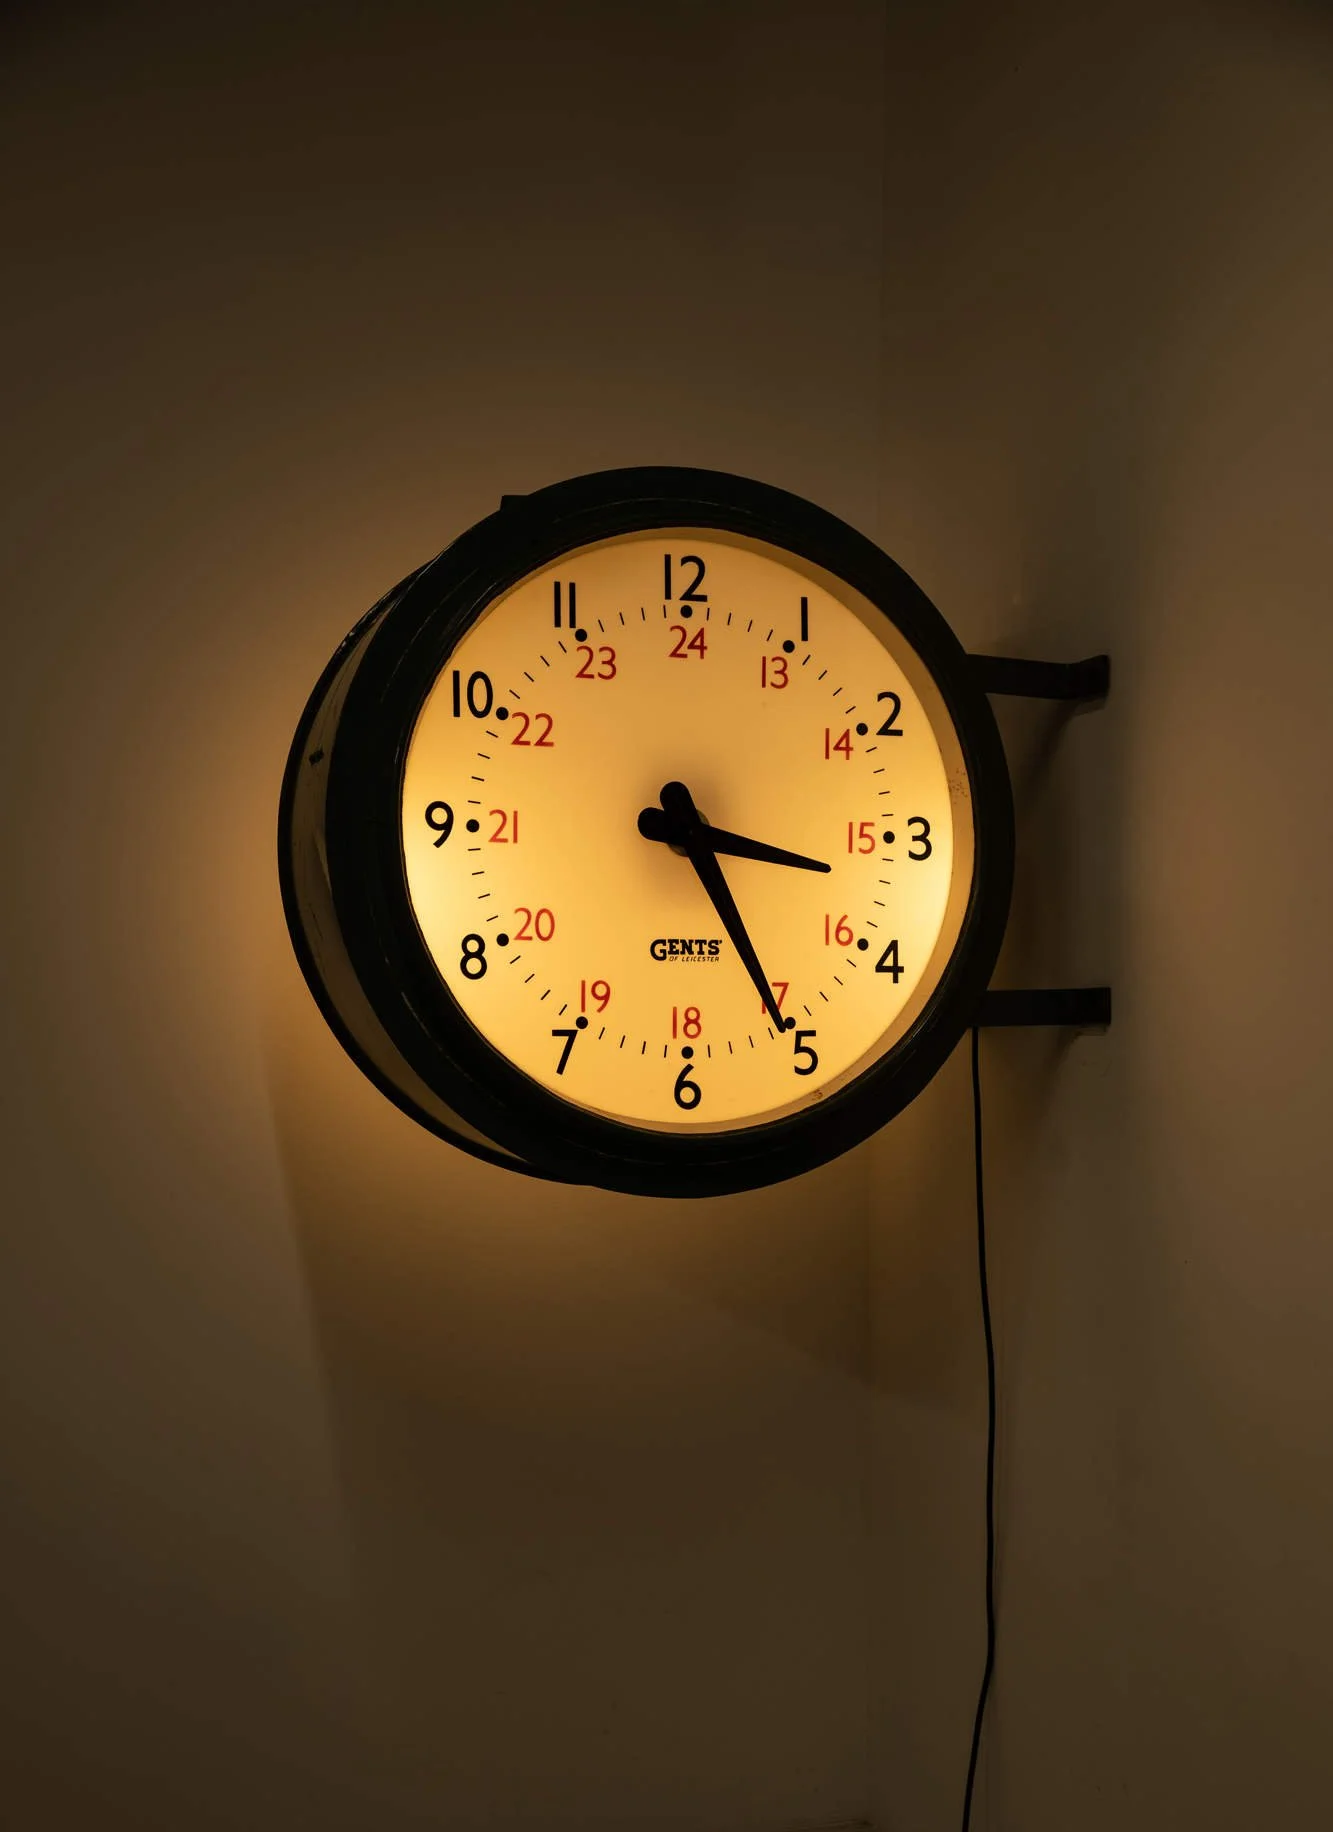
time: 3:25
